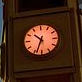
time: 10:33
